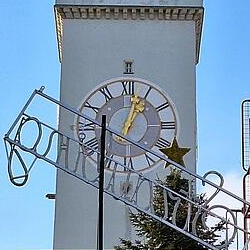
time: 1:02
